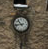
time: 10:42
